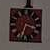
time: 3:34
